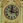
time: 12:16
